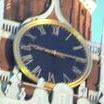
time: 9:15
